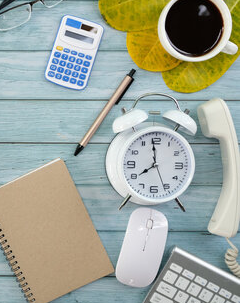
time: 7:59
